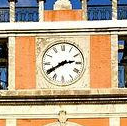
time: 2:40
